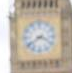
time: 3:39
